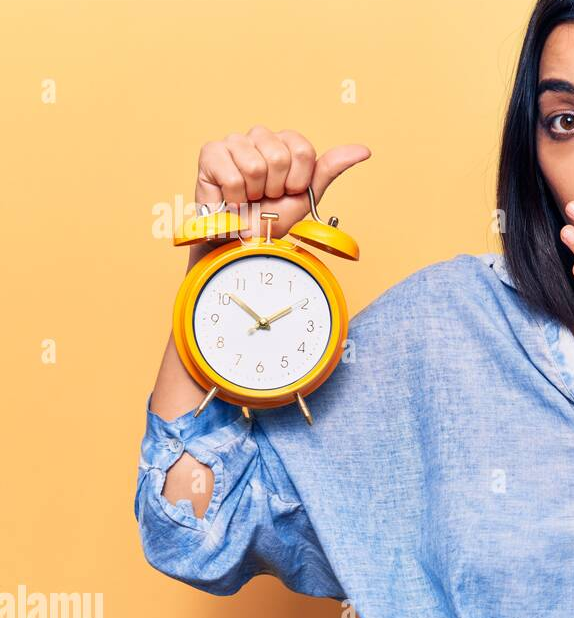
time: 1:51
